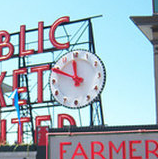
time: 11:49
